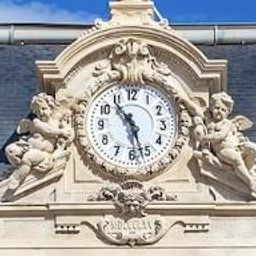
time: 10:27
